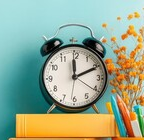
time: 12:10
